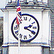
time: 2:19
